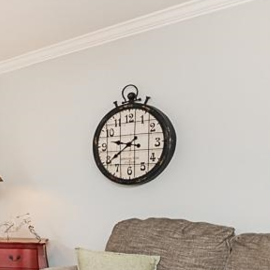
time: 9:39
